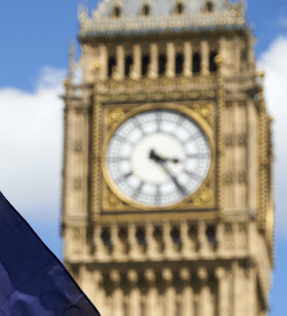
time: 3:23
